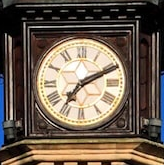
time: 7:11
